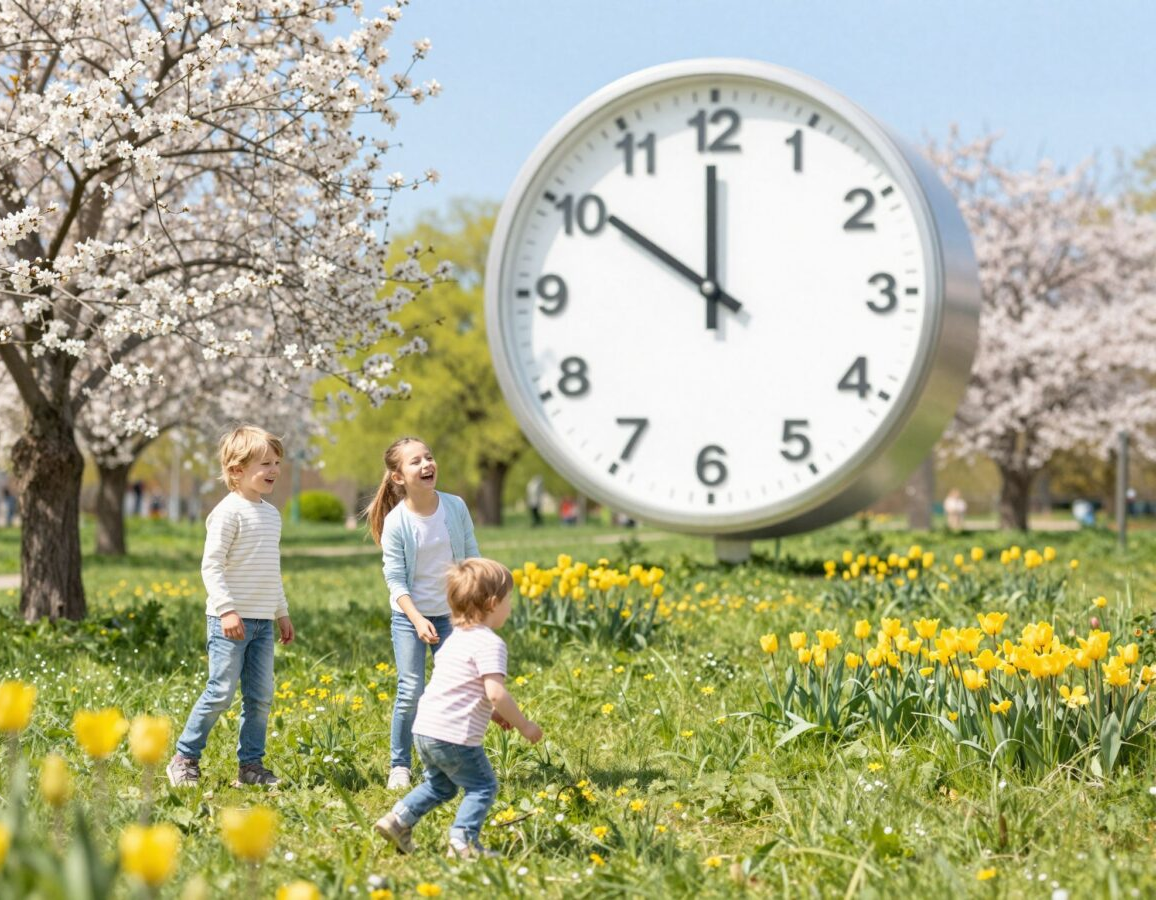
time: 11:50
